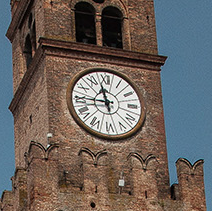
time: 11:44
